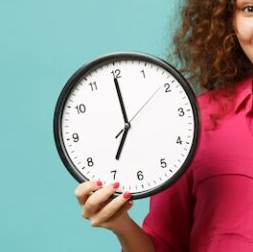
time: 6:59
